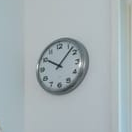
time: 10:07
